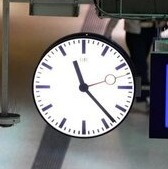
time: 11:23
